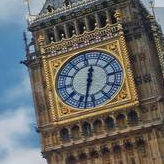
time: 12:32
